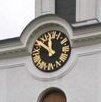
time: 11:50
